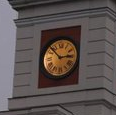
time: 2:52
